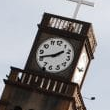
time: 1:41
